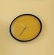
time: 10:35
